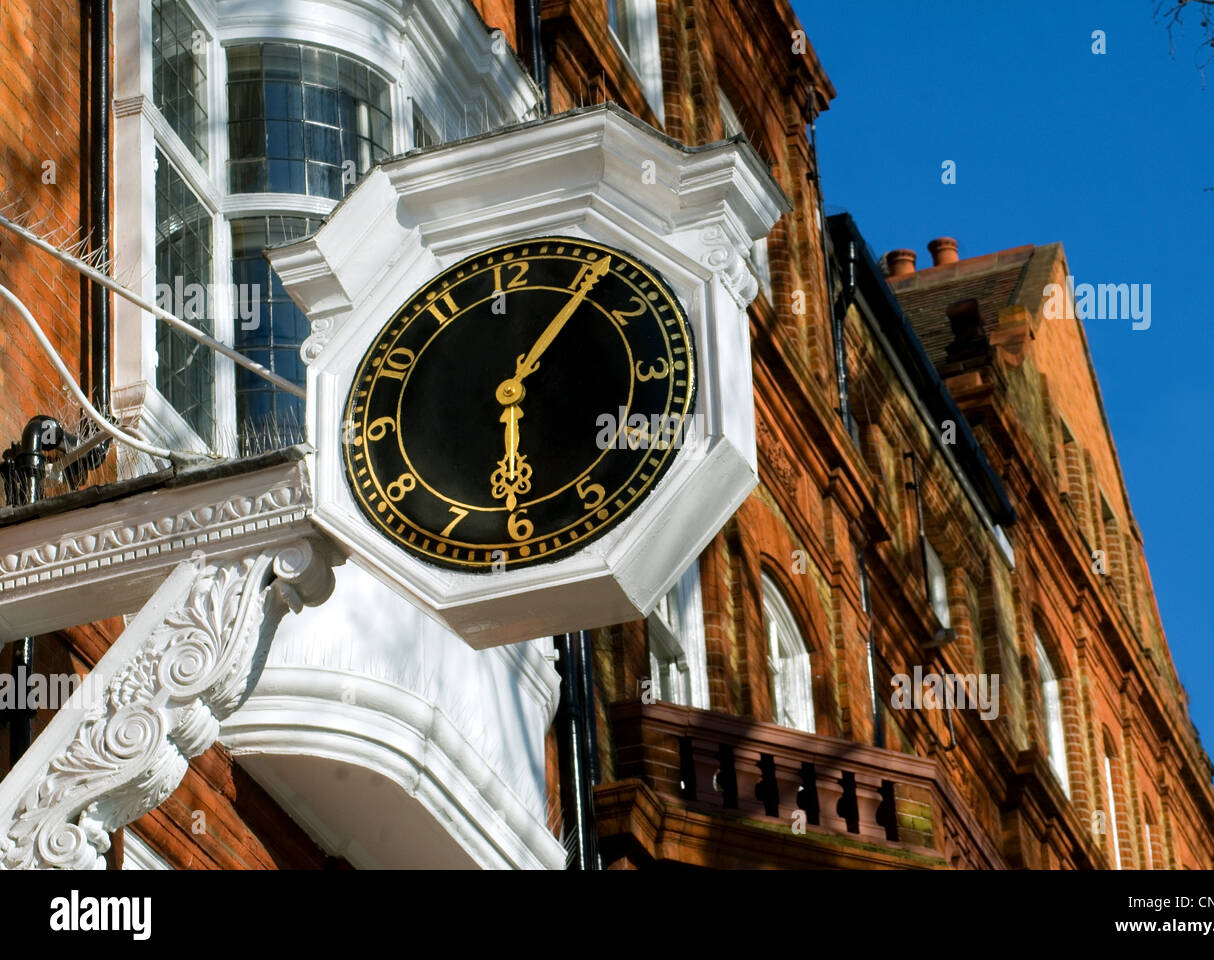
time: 6:06
